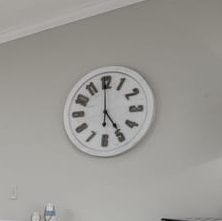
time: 4:59
